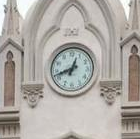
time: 12:42
